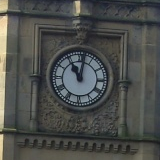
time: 11:01
